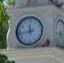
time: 11:43
